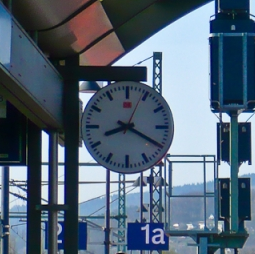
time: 8:19
